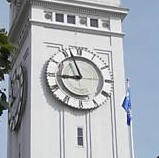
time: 8:56
